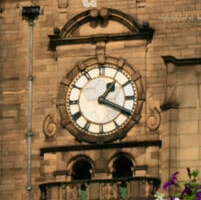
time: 1:19
